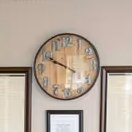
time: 9:49
